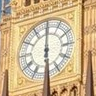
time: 6:00
